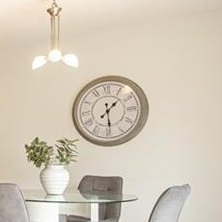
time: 1:28
